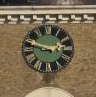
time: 2:48
